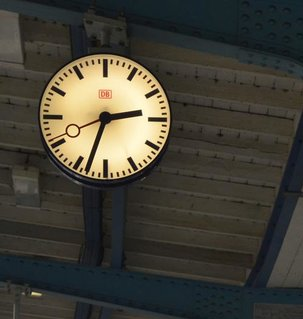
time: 2:33
